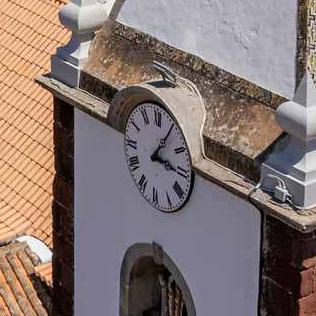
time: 3:05
